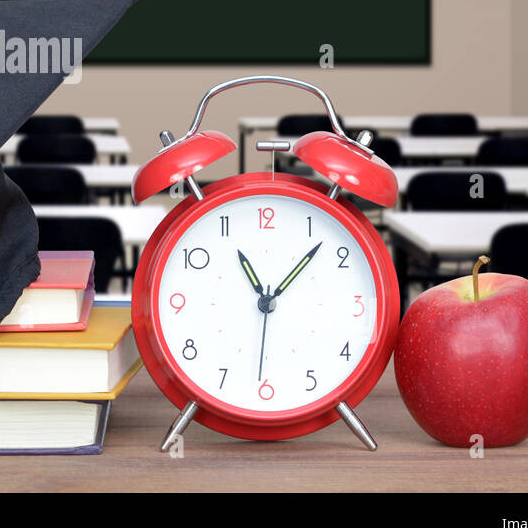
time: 11:07
